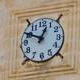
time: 12:50
